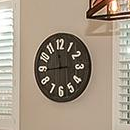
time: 11:44
